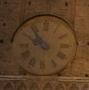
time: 9:53
